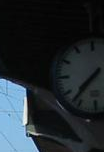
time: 7:37
